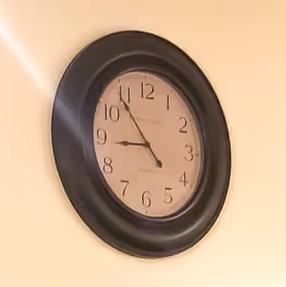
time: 8:53
